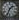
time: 1:33
